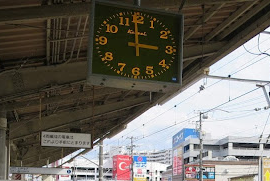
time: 2:59
